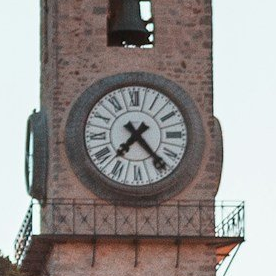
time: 7:23
